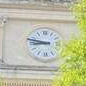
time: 8:47
